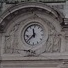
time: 11:37
